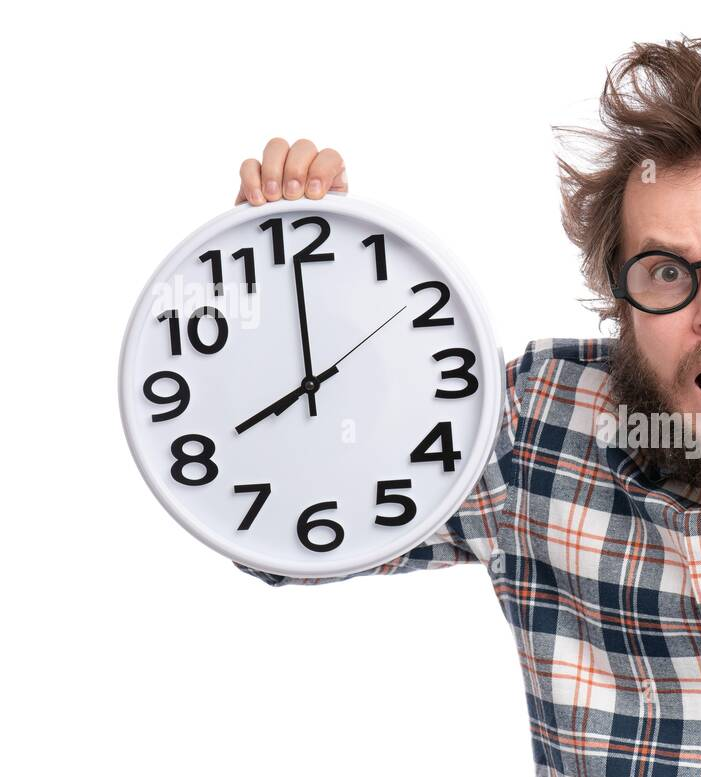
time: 7:59
